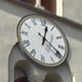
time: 12:19
